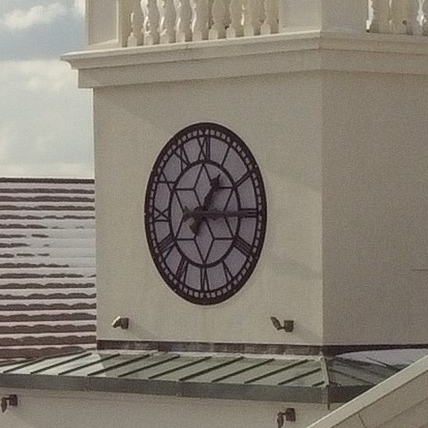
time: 1:14
